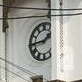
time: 1:44
